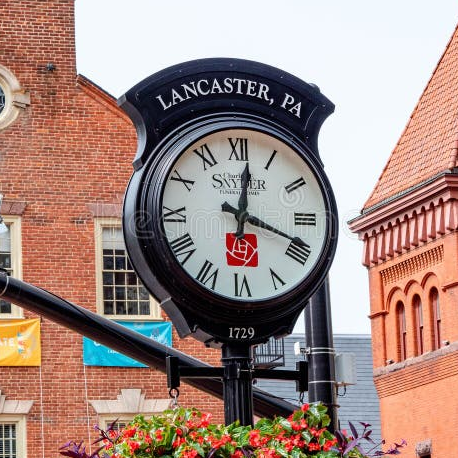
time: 12:18
